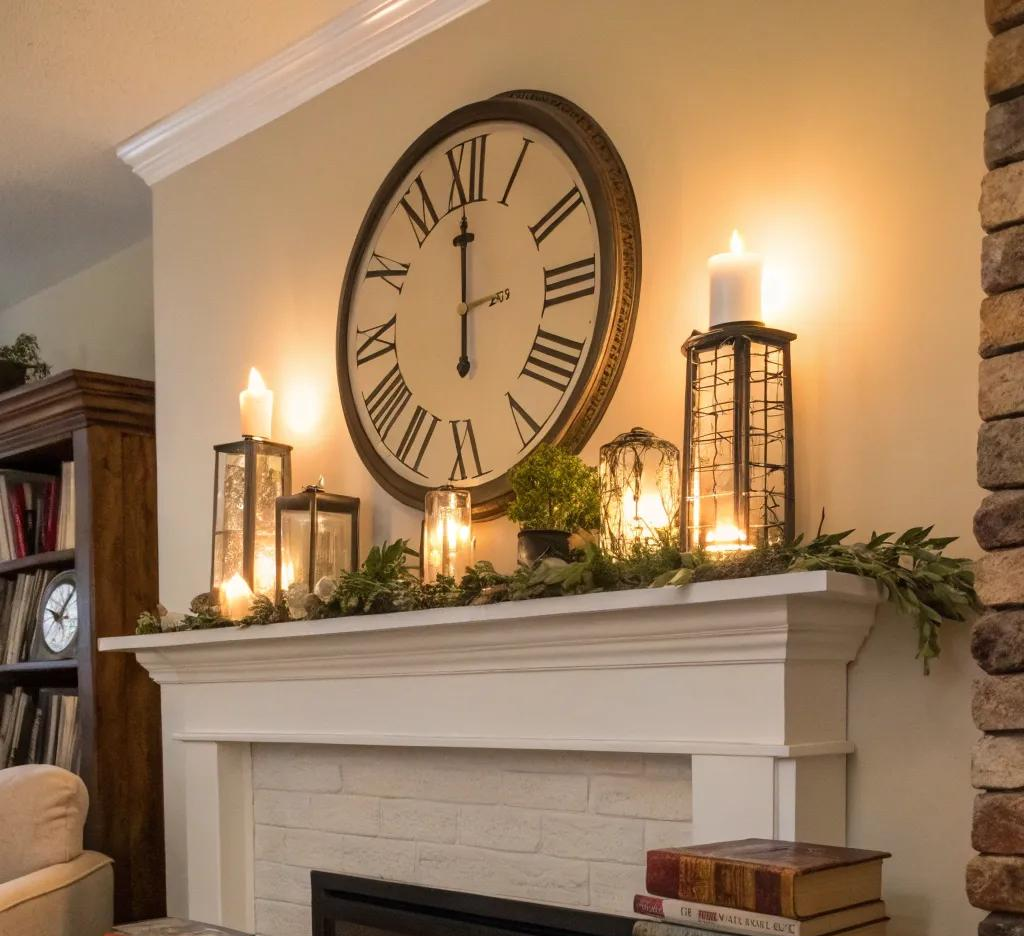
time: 5:59
